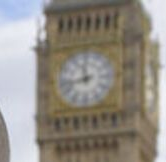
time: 11:42
